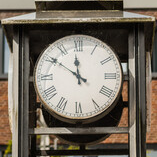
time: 11:50
